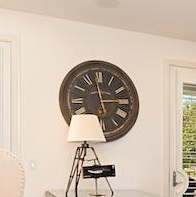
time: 2:58
